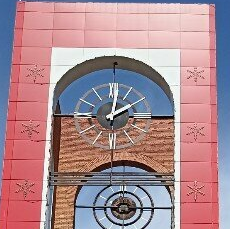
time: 2:01
